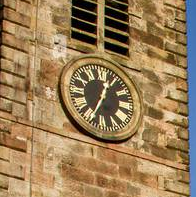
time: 12:34
